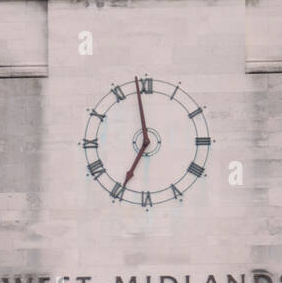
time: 6:58
